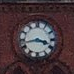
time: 3:42
